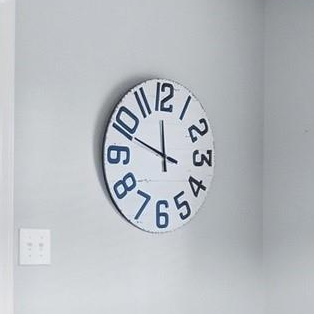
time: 11:48
